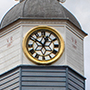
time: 12:50
